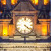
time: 4:21
